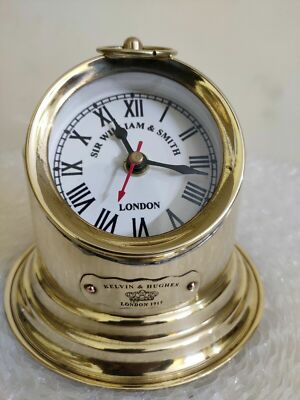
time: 11:16
